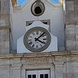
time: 4:07
